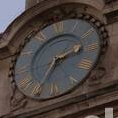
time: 2:34
